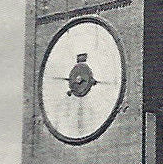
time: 7:46
